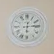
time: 12:14
